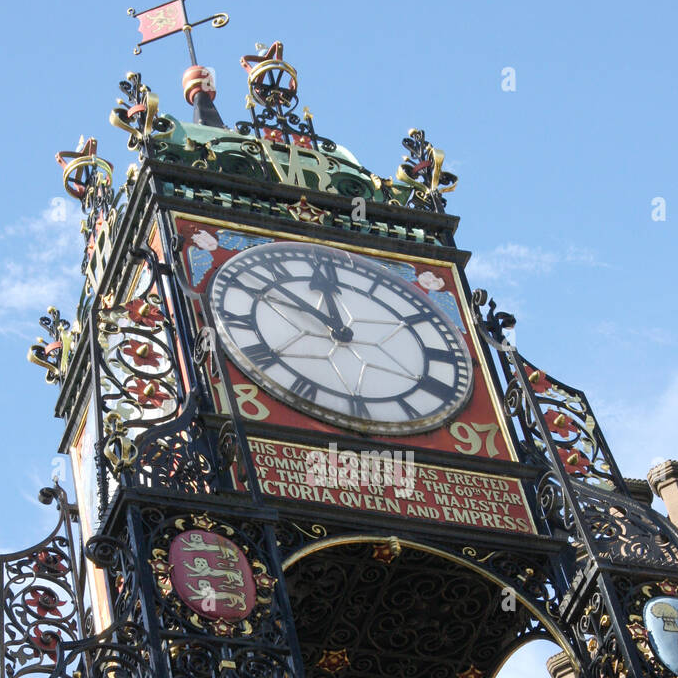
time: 11:52
